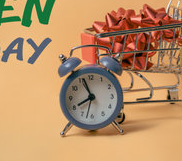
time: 7:56
